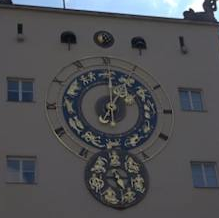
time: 1:01
